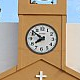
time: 7:51
